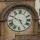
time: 4:49
